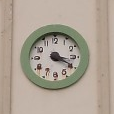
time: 3:19
